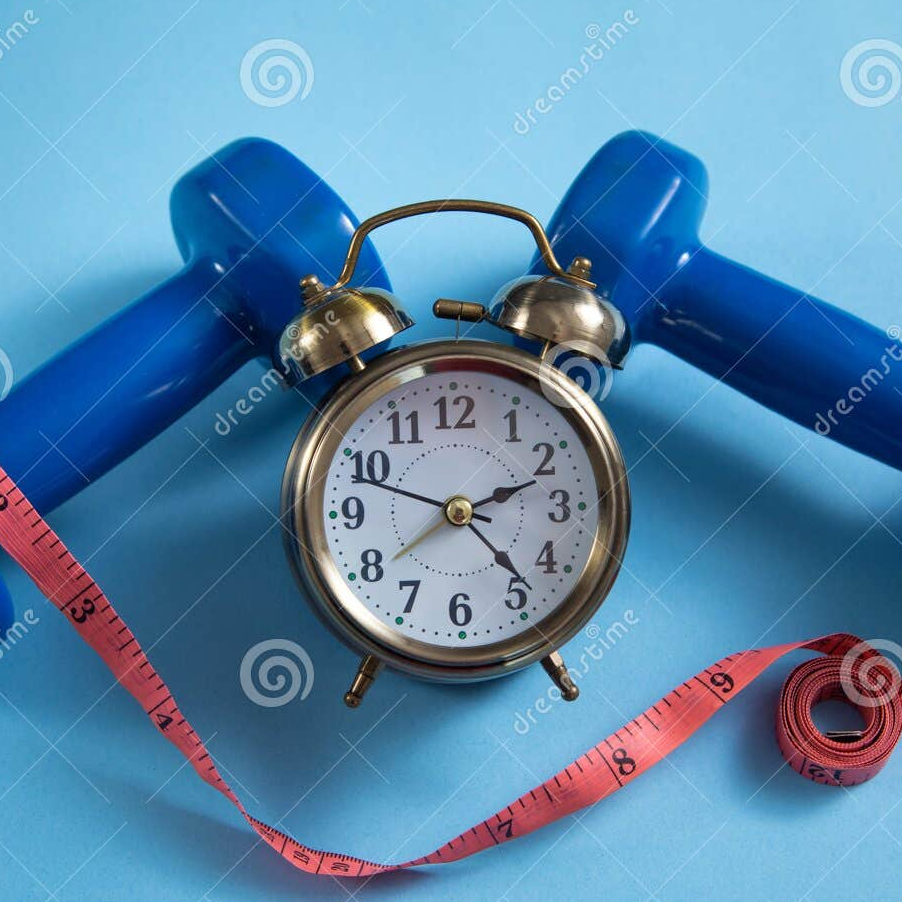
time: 2:23
